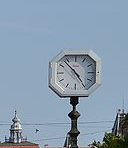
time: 4:53
